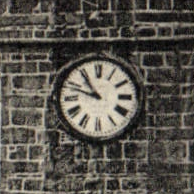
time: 10:48
